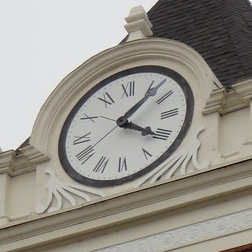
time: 4:07
